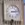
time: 3:13
